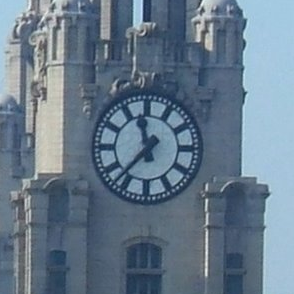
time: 11:37
